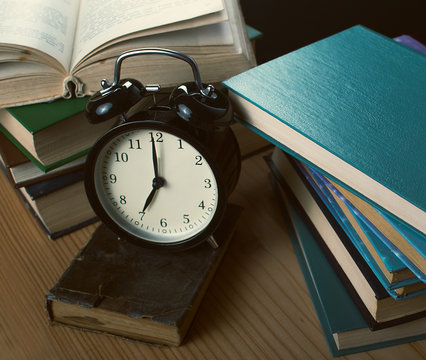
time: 7:00
